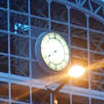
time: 7:39
